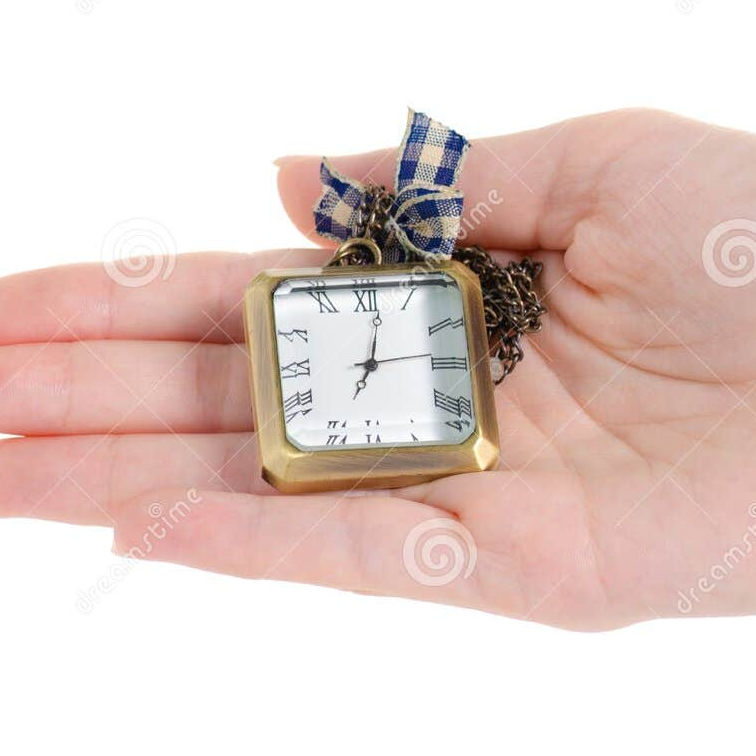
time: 7:01
